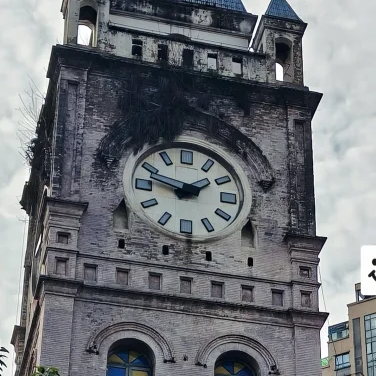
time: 1:47
